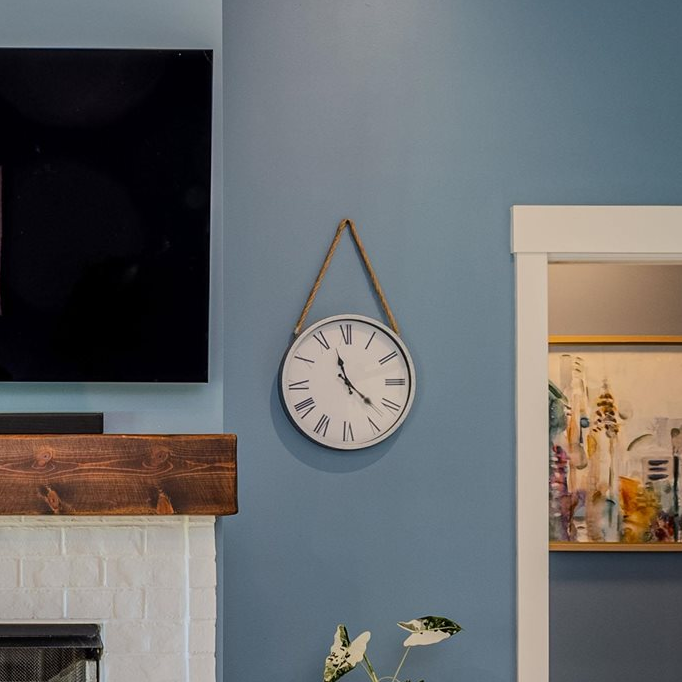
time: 11:21
